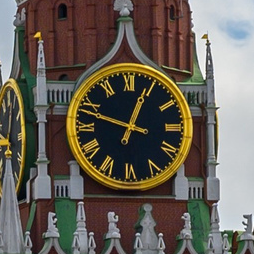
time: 12:48
